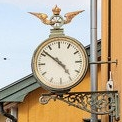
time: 4:51
